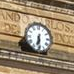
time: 6:29
